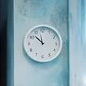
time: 11:52
